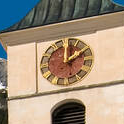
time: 2:00
